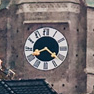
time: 8:21
